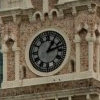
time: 1:12
